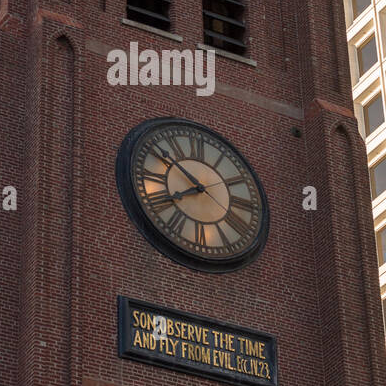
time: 7:51
